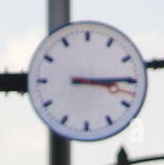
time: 3:14
